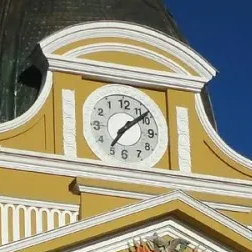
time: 7:08
